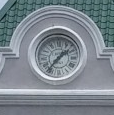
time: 1:36
